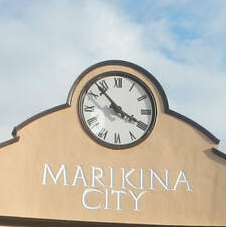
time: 3:53
